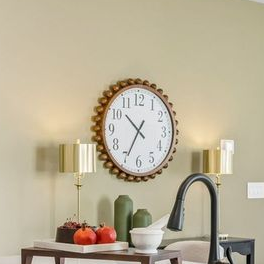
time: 10:34
